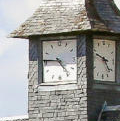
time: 4:46
